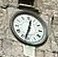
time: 12:32
